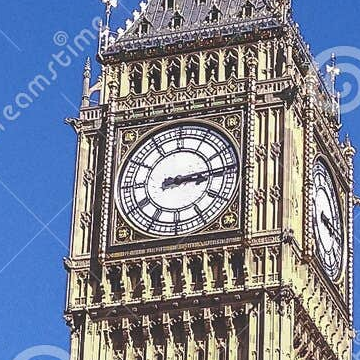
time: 3:13
